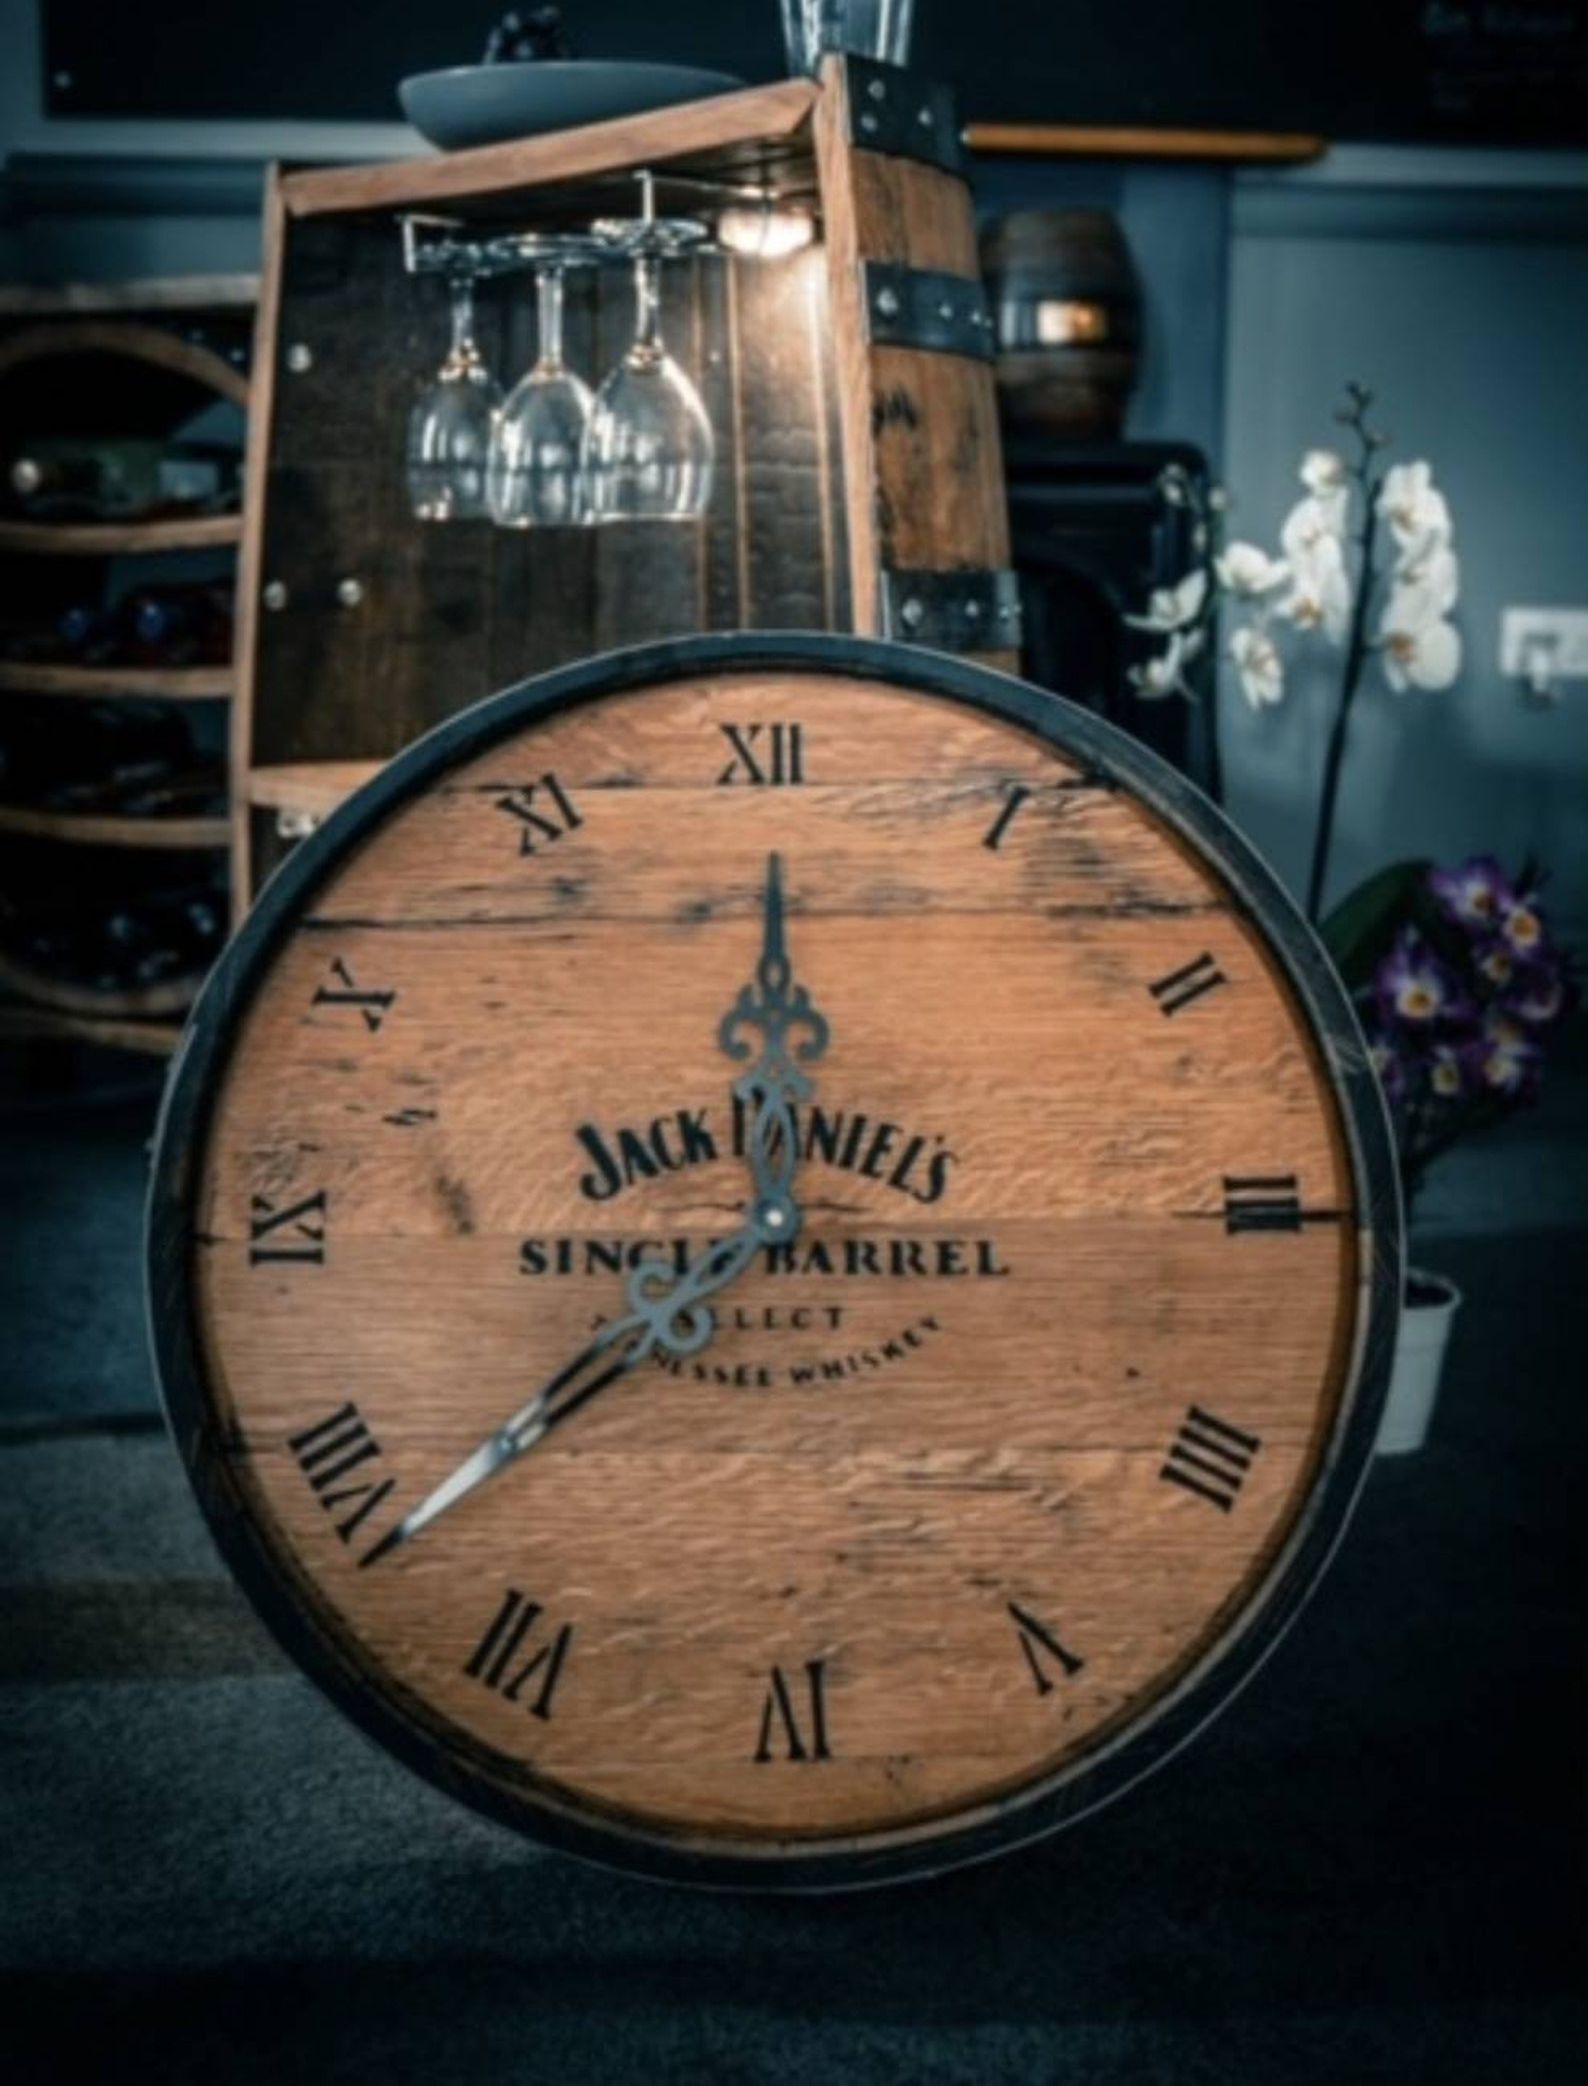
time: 11:38
